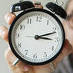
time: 3:11
